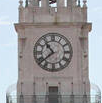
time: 10:38
